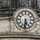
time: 5:31
